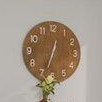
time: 12:33
